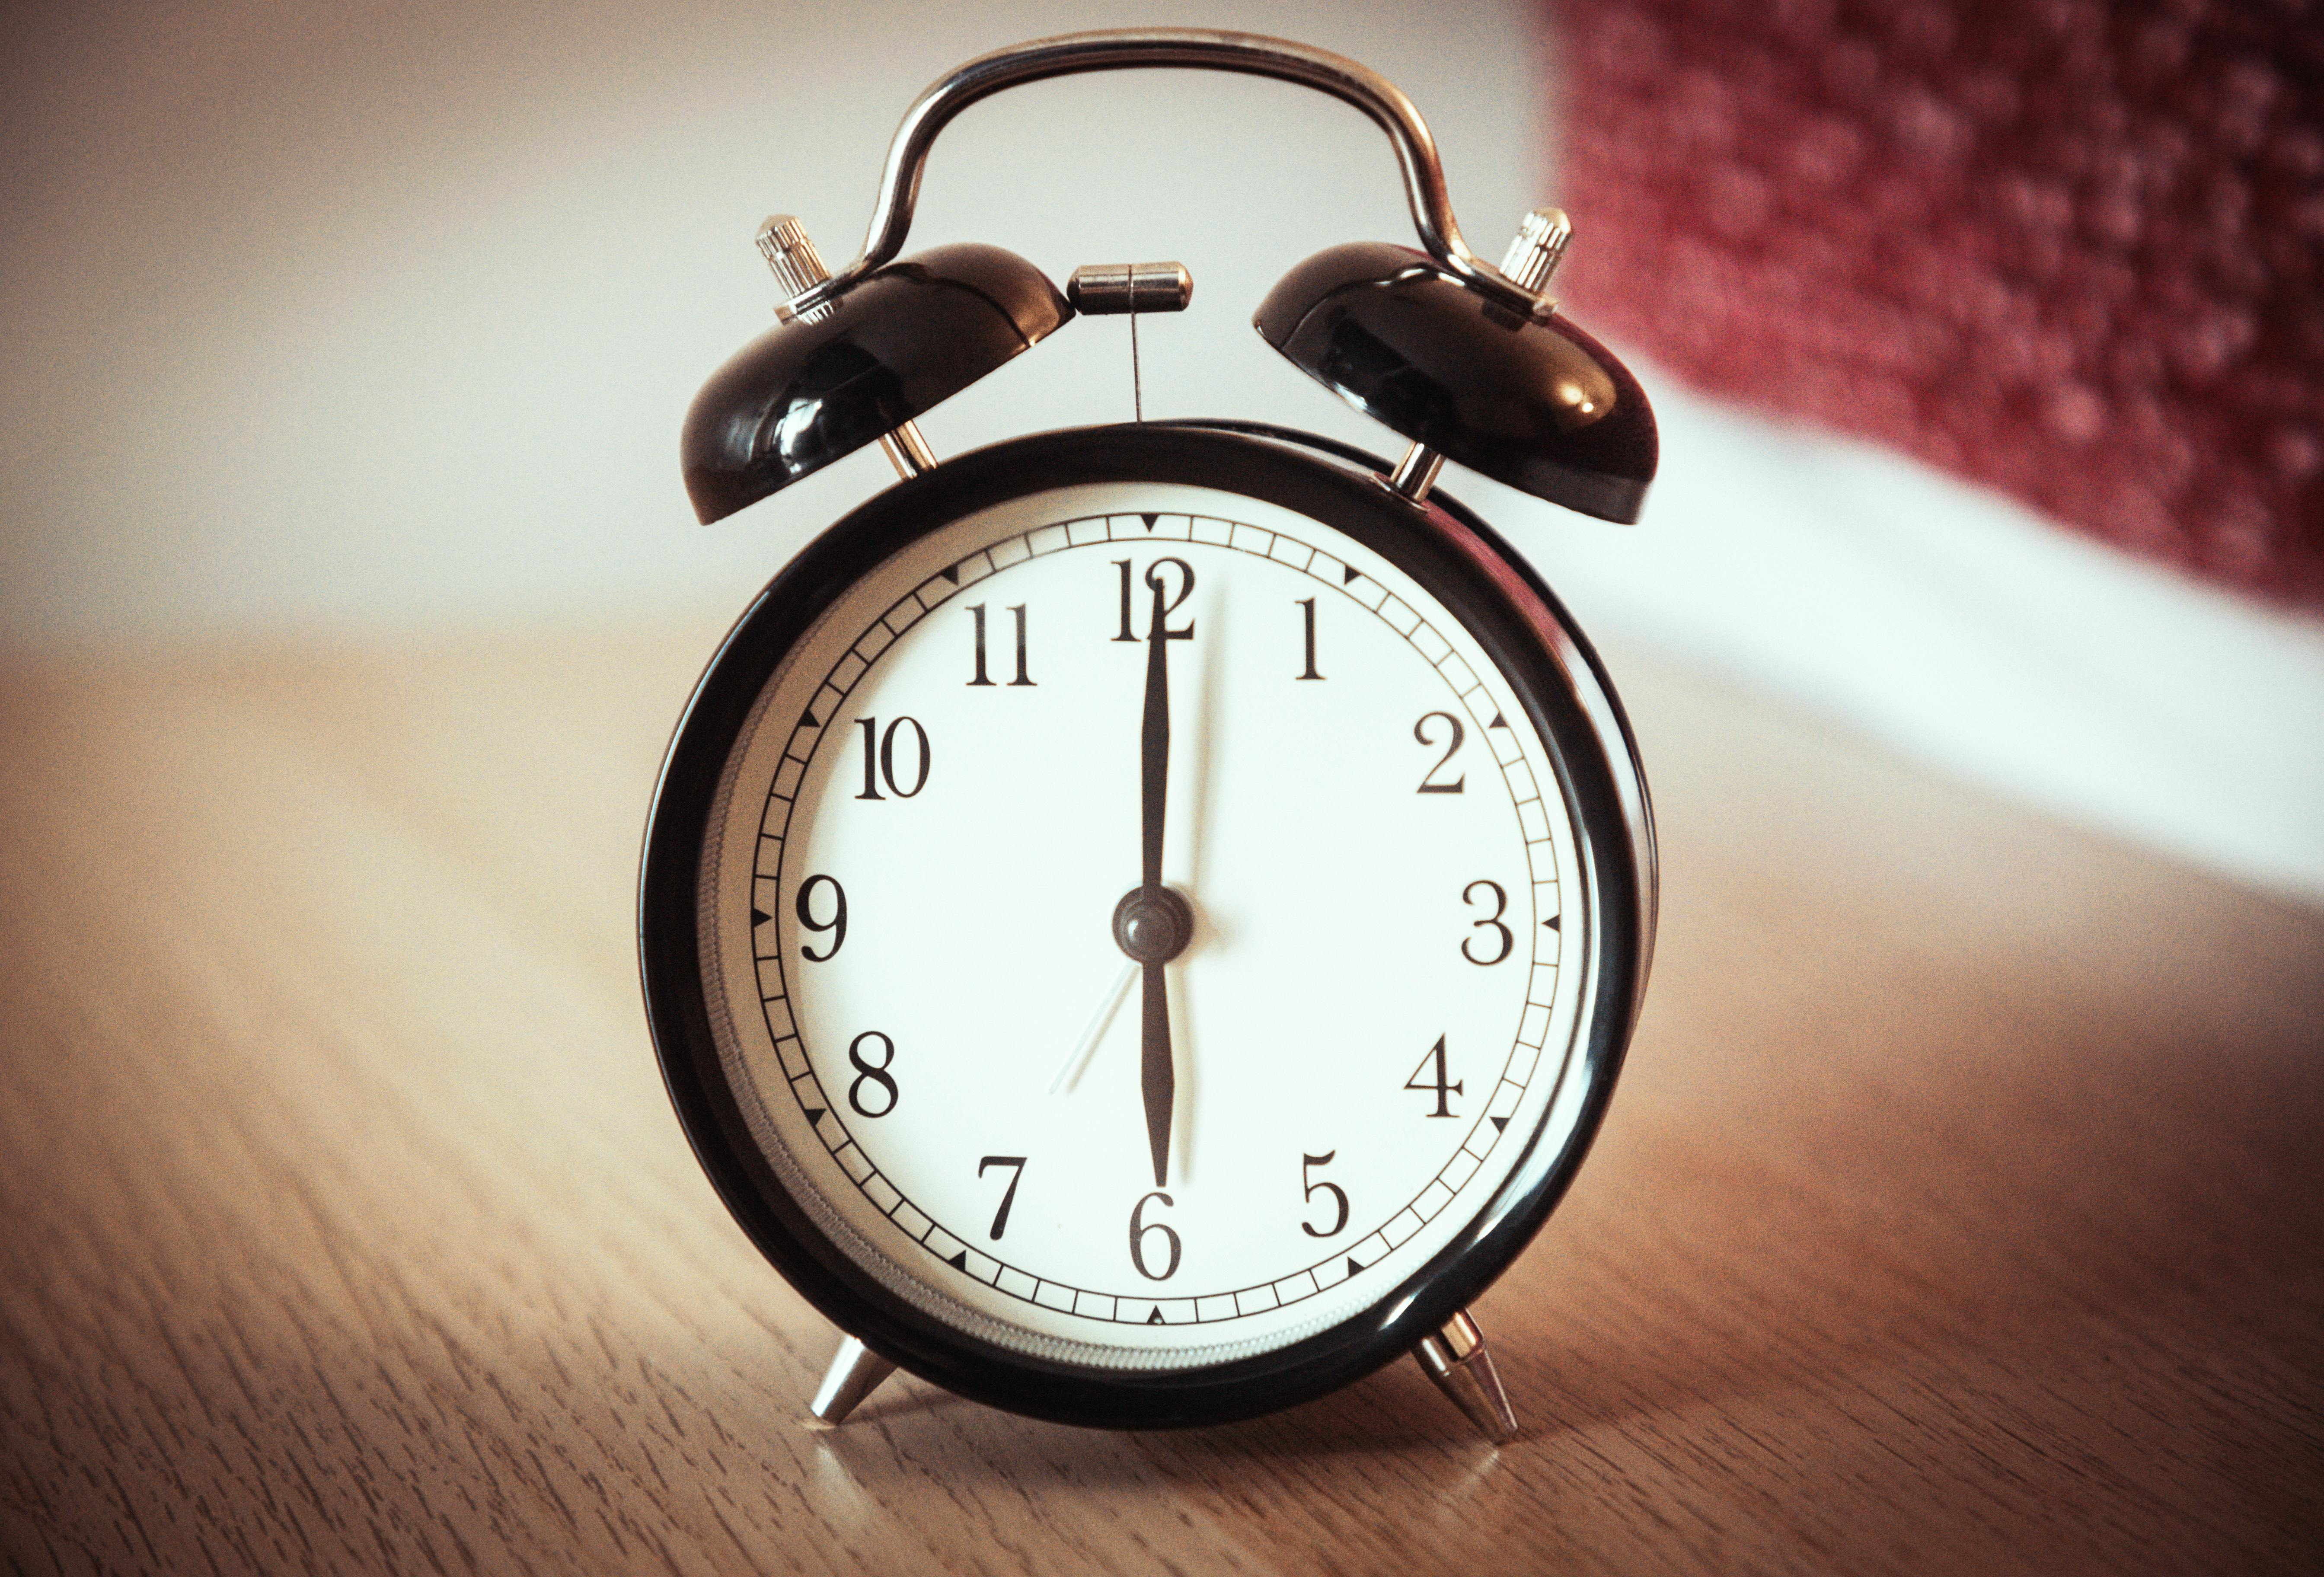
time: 6:00
